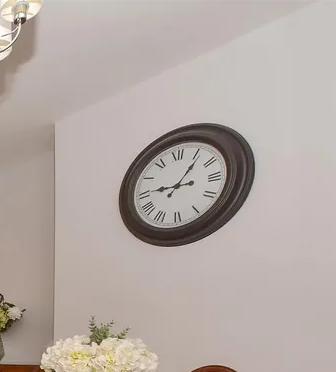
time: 9:05
